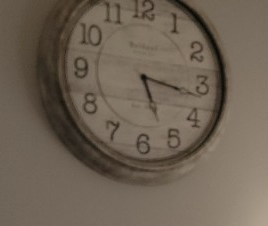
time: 5:16
